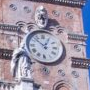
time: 12:52
